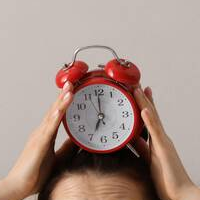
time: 7:00
